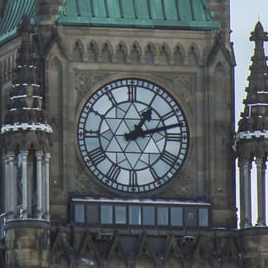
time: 1:12
